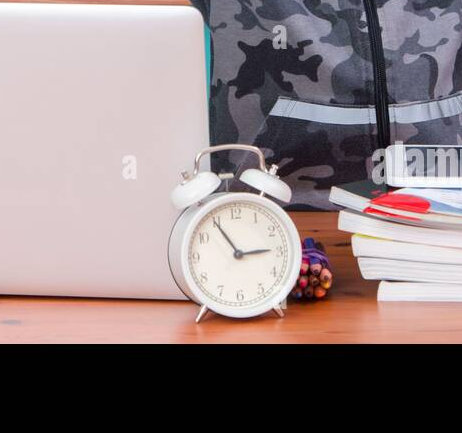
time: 2:54
